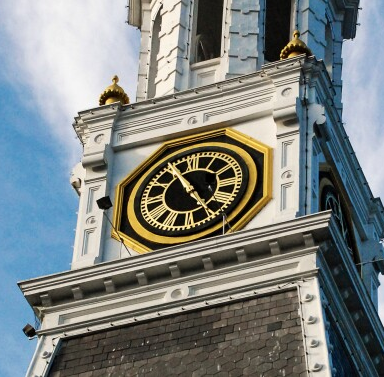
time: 4:54
